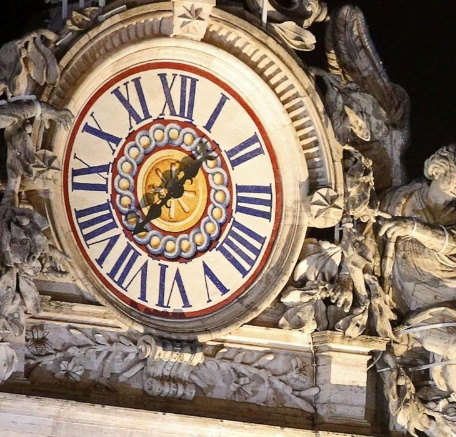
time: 1:37
